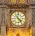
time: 4:23
